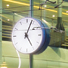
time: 5:04
